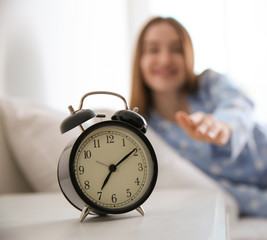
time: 7:09
